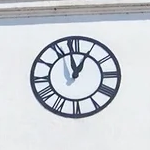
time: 12:58
